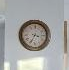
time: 3:34
